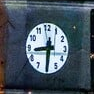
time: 8:30
